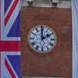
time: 2:00
